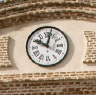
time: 10:02
